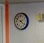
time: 2:21
